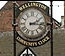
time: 2:16
